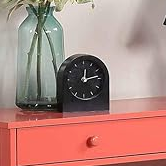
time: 12:13
